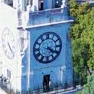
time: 4:20
